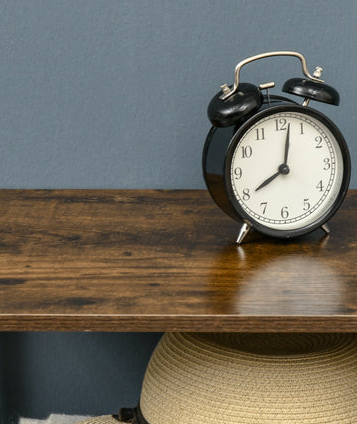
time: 8:01
